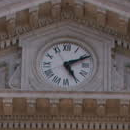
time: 5:10
